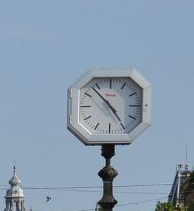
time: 4:53
